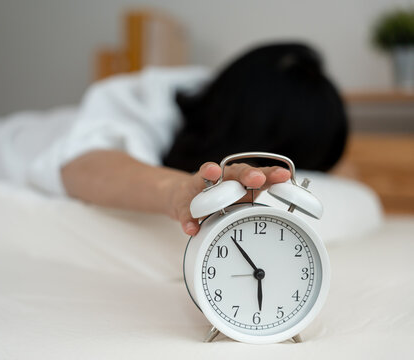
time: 5:53
